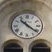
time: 10:21
